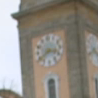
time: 3:39
